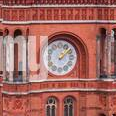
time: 1:08
